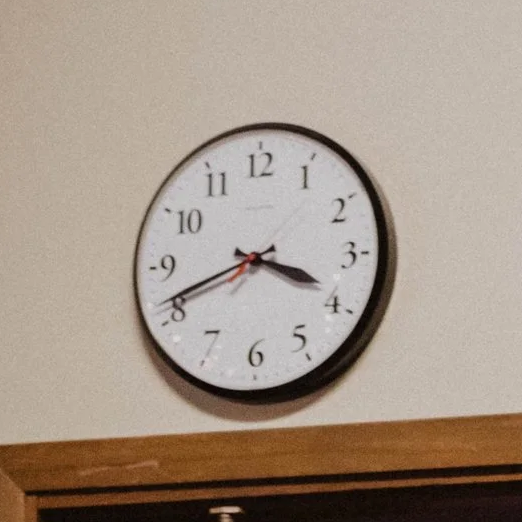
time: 3:41
